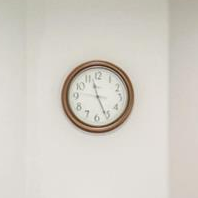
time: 11:25
